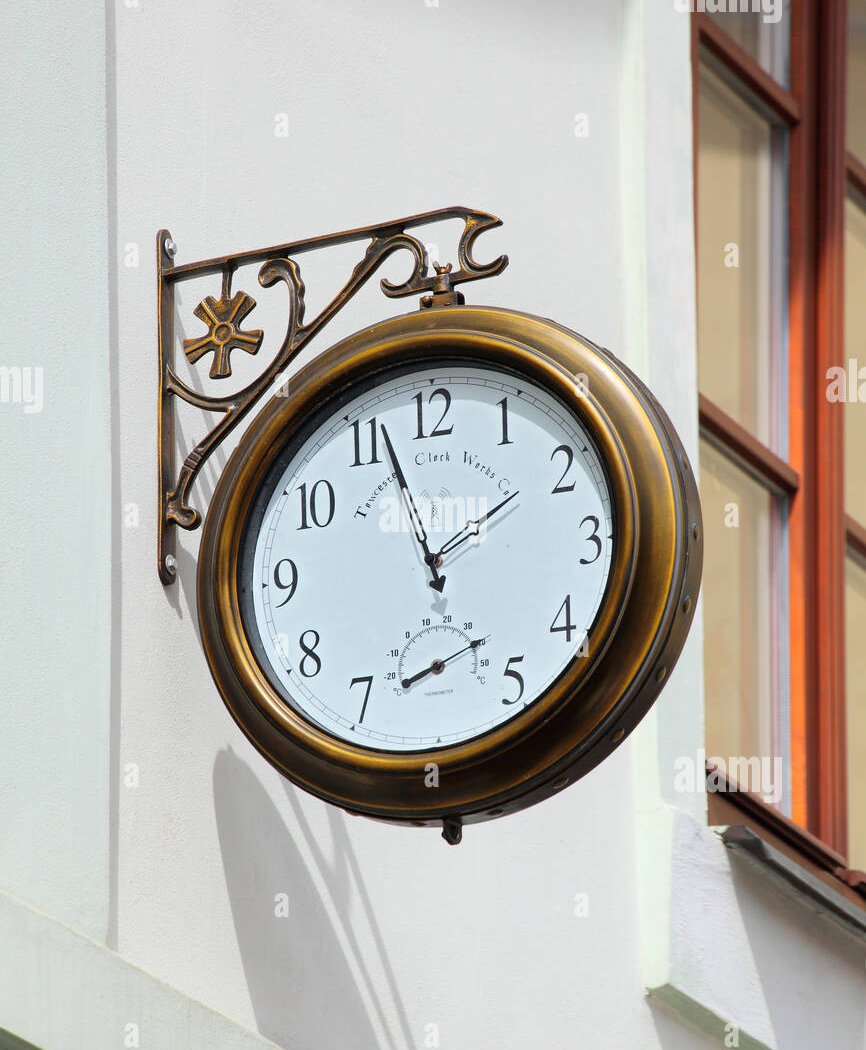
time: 1:56
